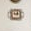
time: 9:01
